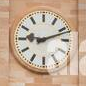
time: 9:11
